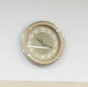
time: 10:18
